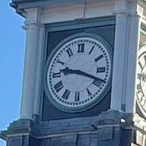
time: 9:18
